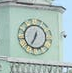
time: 12:34
